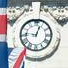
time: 12:46
